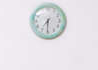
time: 7:30
